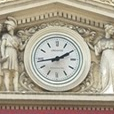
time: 1:43
